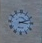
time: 3:11
